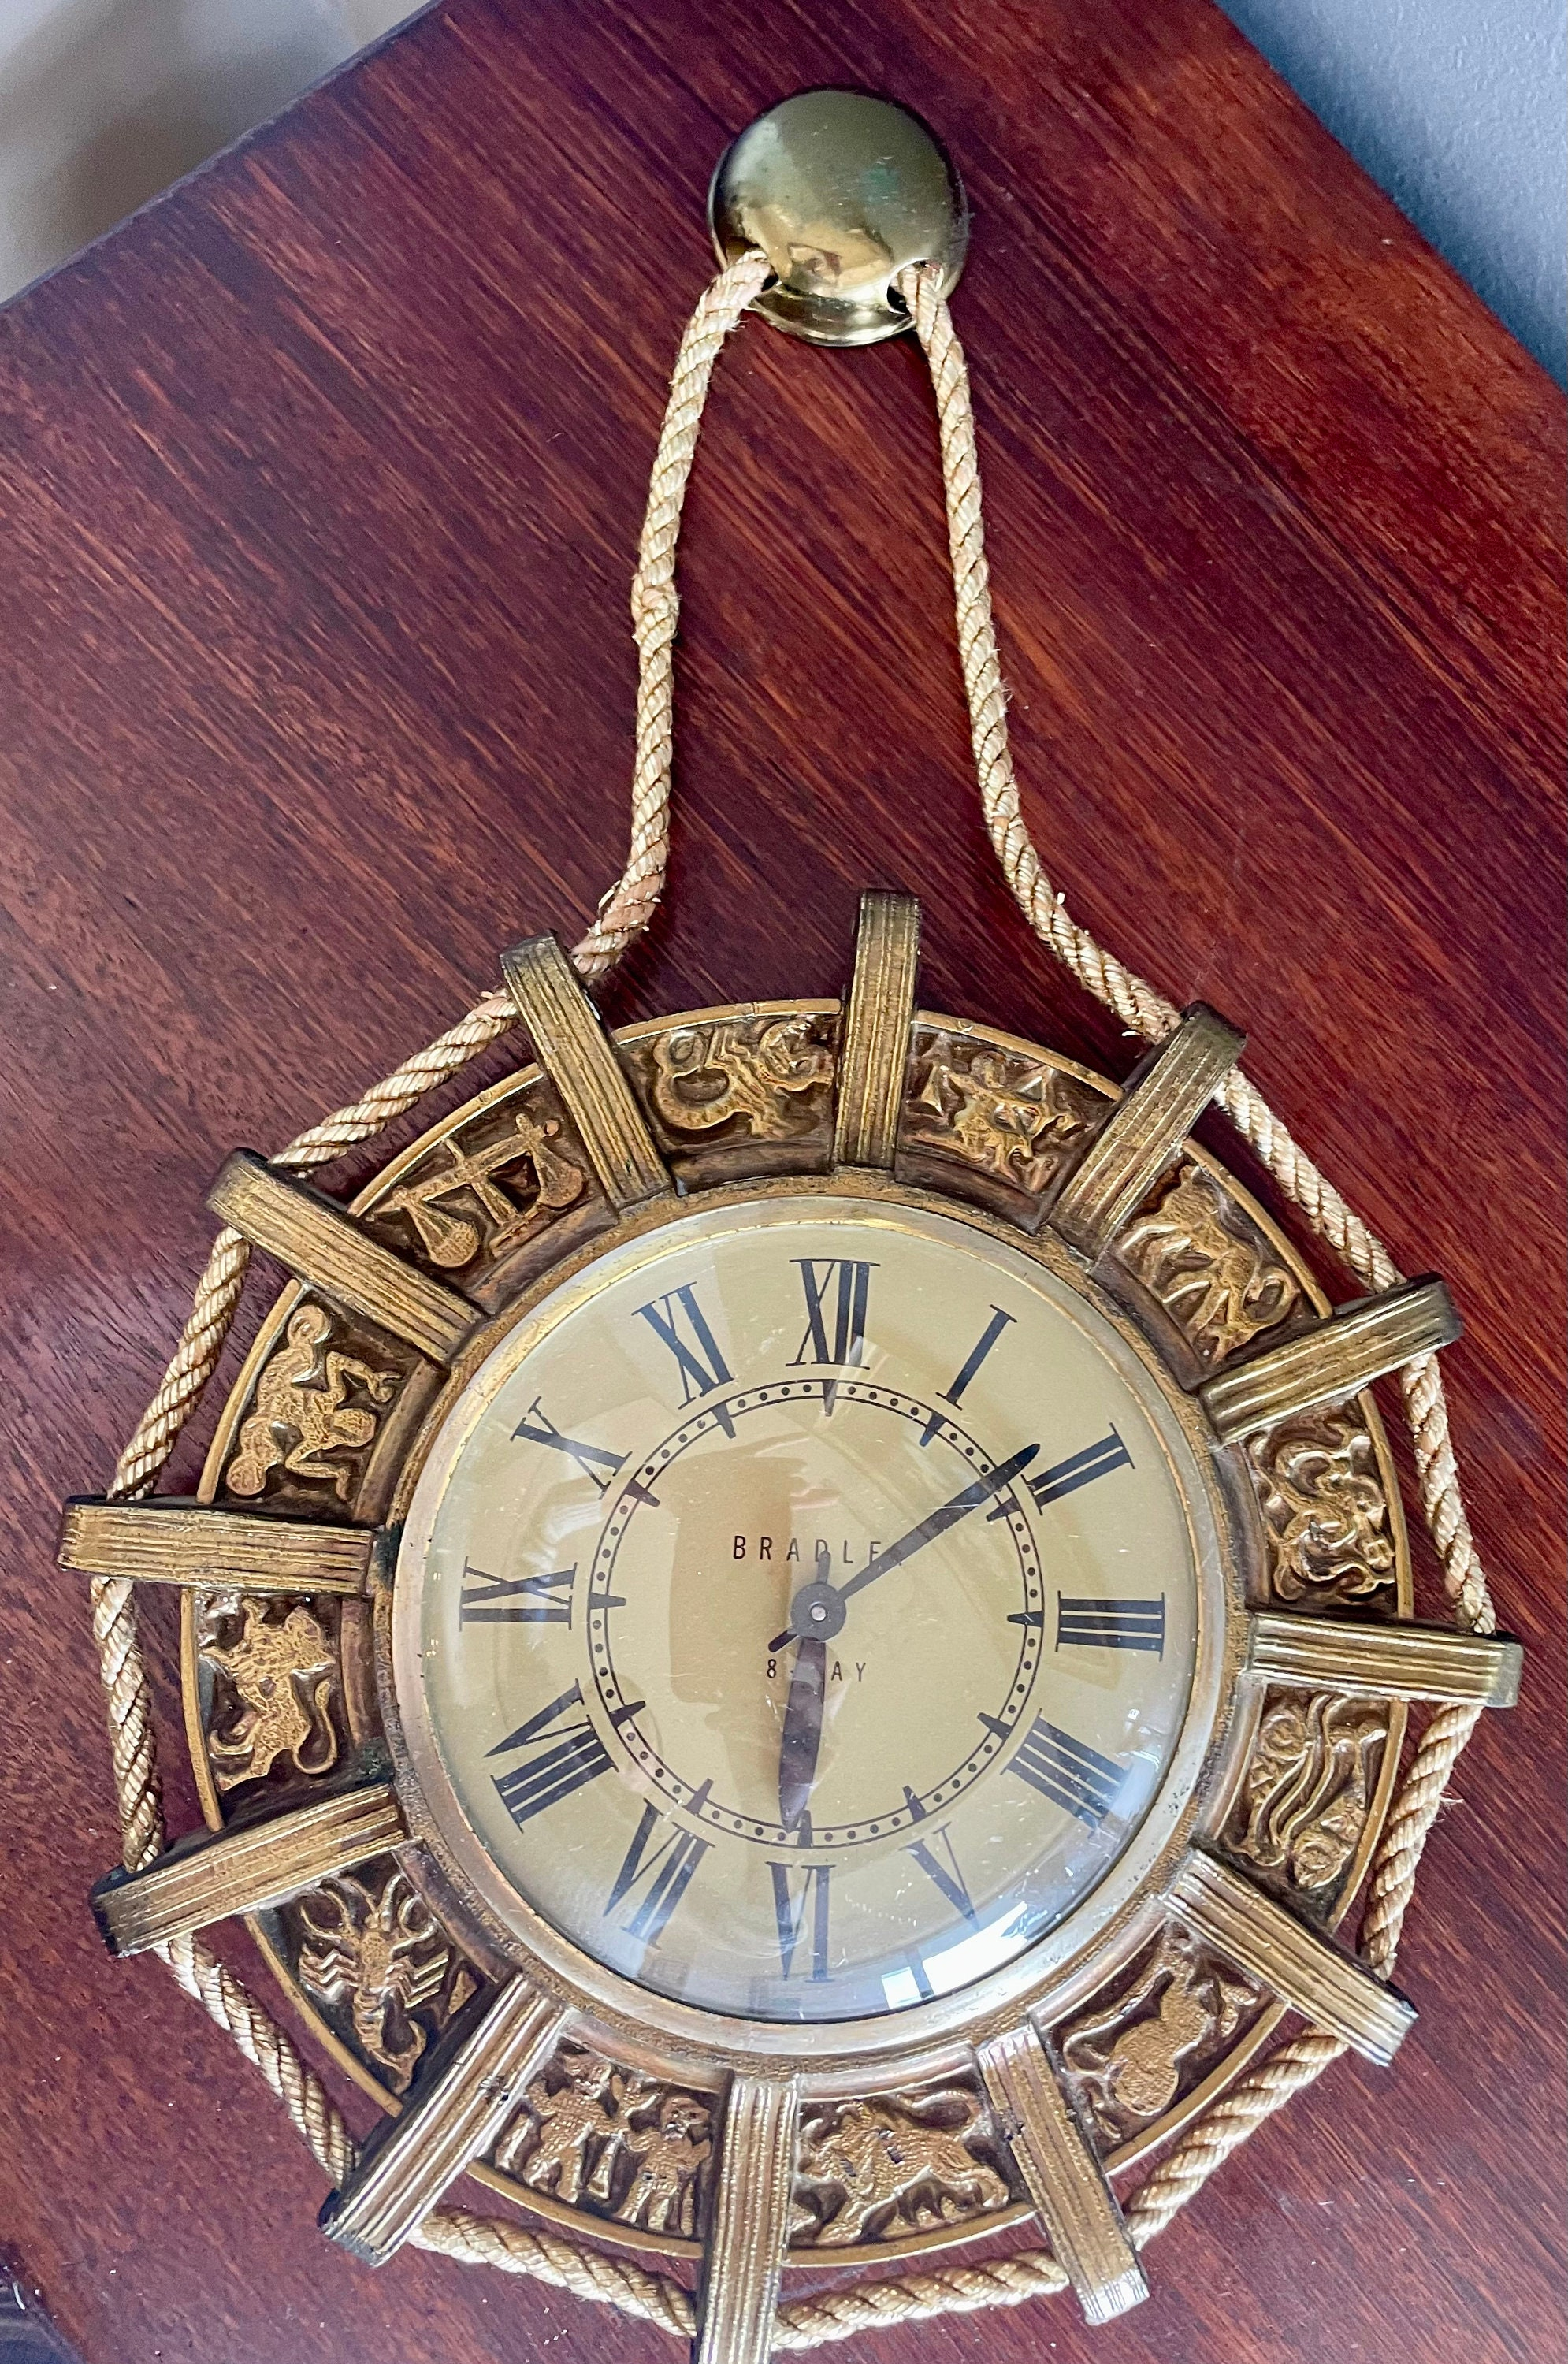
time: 6:08
